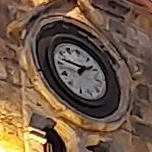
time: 1:46
